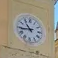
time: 10:43
